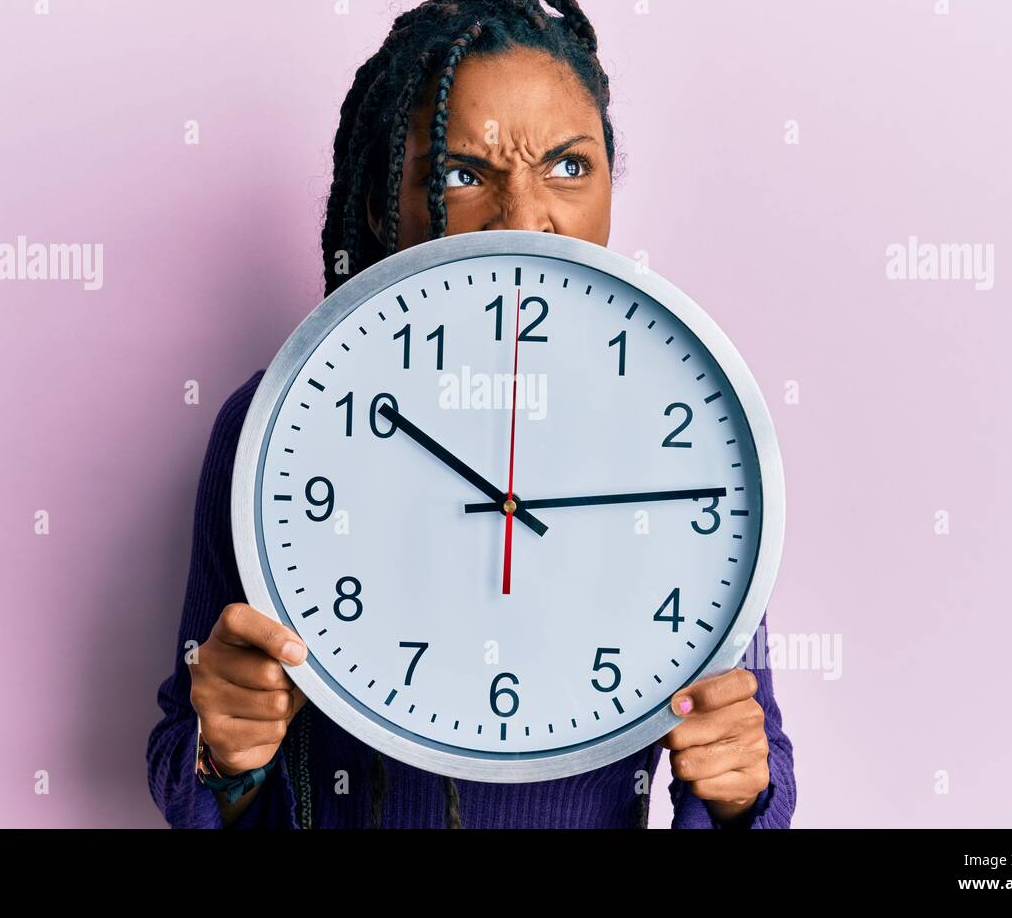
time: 10:13
